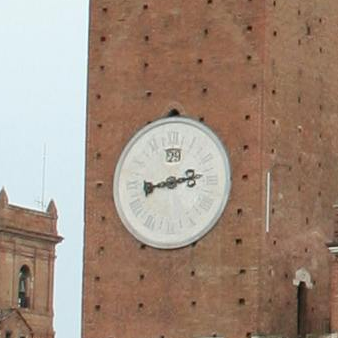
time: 8:12
